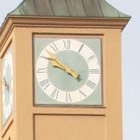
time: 9:51
